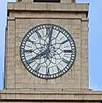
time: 8:01
